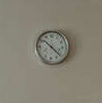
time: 10:21
